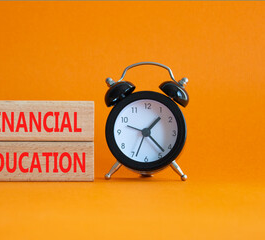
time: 1:22
